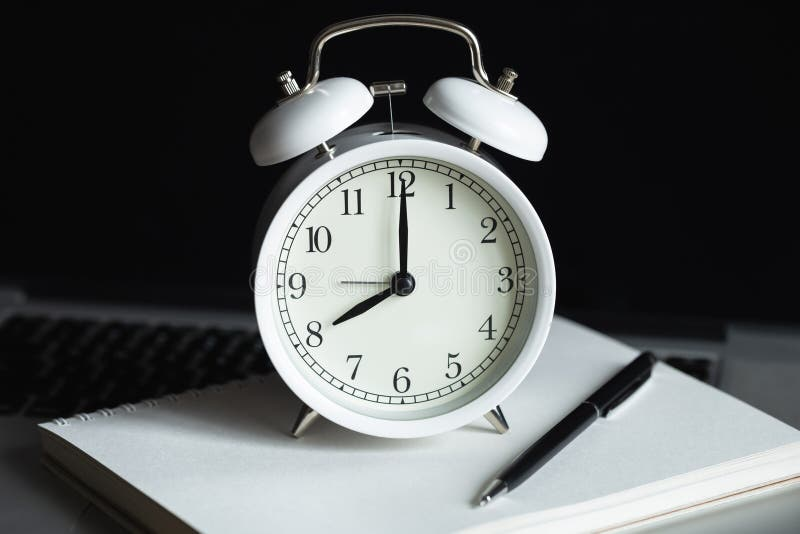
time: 8:00
